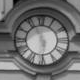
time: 5:57
